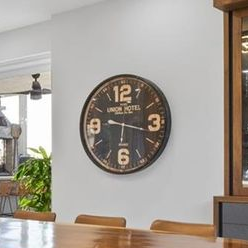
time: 9:17
